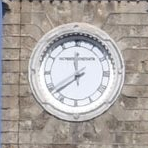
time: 11:38
